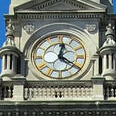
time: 12:20
